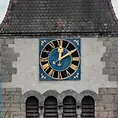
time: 12:09
